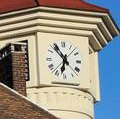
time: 6:54
